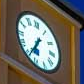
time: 6:34
